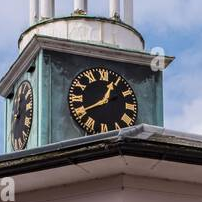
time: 12:40
